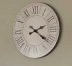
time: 2:21
